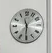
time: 11:30
